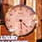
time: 4:29
